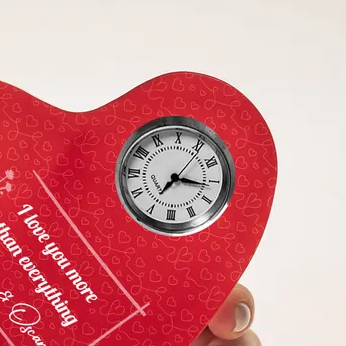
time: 7:16
